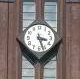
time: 3:26
